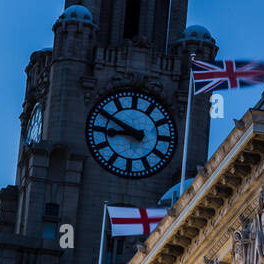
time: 8:49
